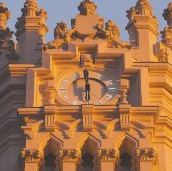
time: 5:59
